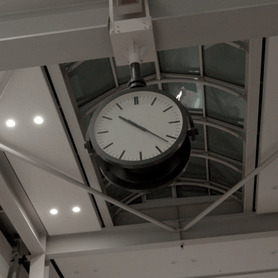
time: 10:21
